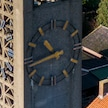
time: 10:43
